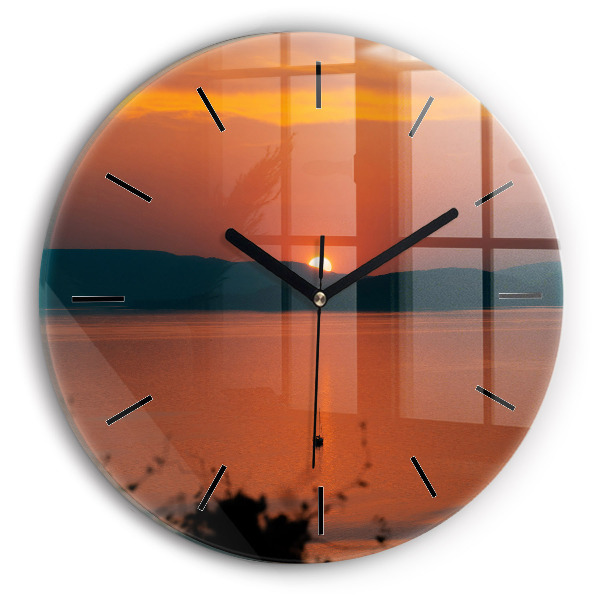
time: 10:10
